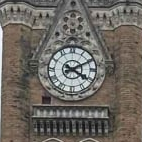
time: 4:10
